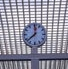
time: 12:38
